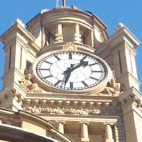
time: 1:32
